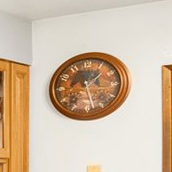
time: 1:28
